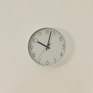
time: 10:02
